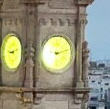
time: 9:12
